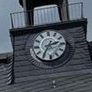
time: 2:35
